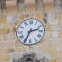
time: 2:34
